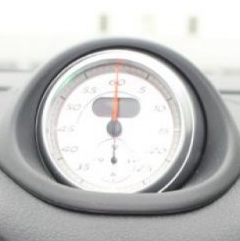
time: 6:00
